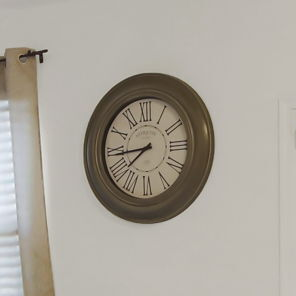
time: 7:43
